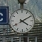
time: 4:09
